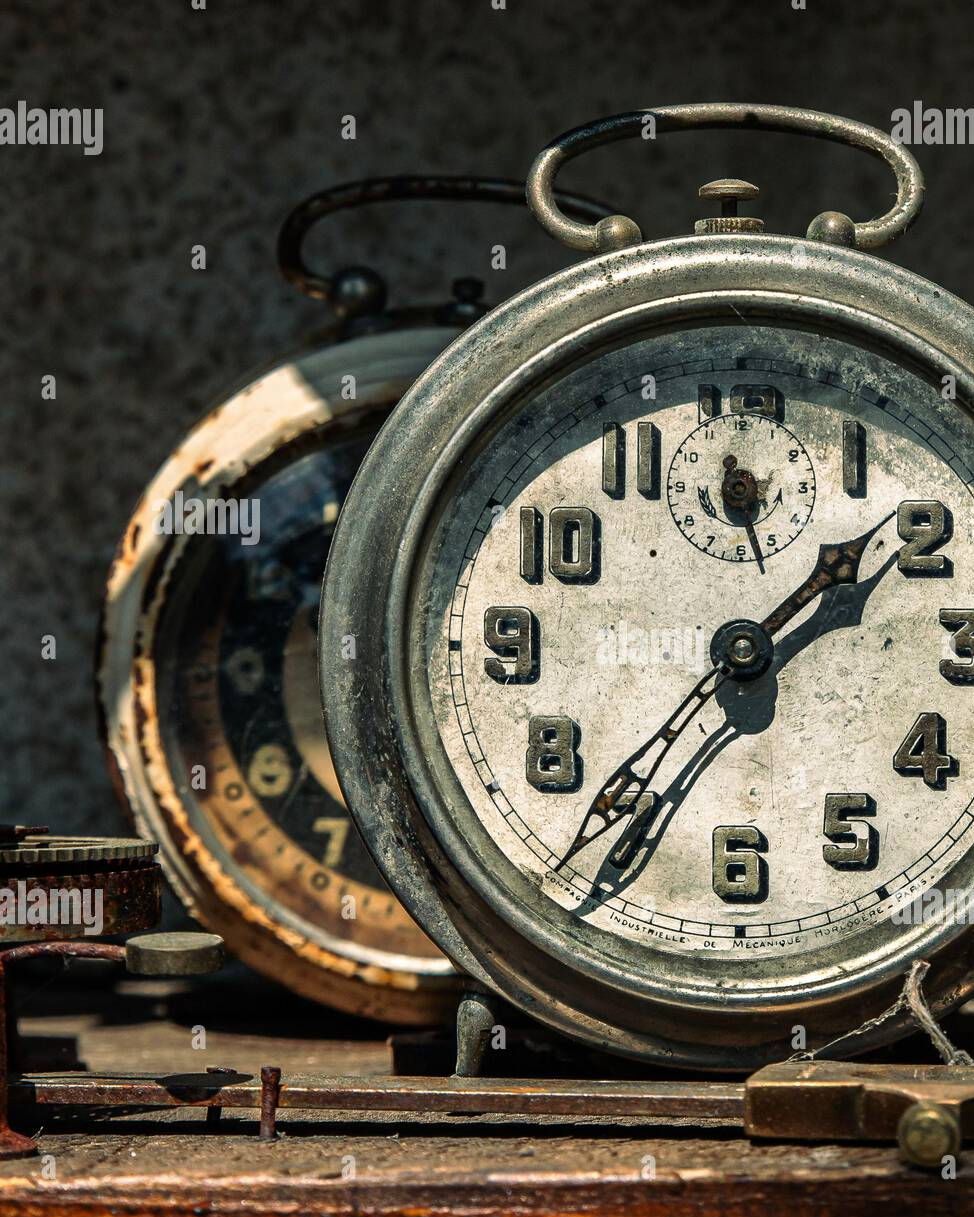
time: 1:36
